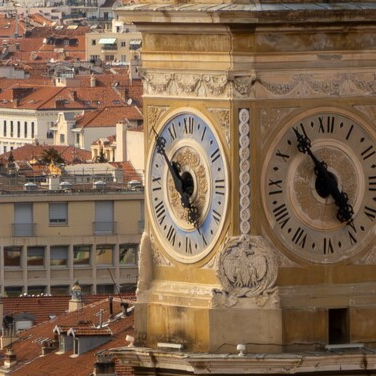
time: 4:50
